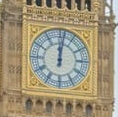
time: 12:01
